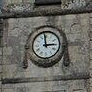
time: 2:58
